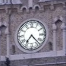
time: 7:22
